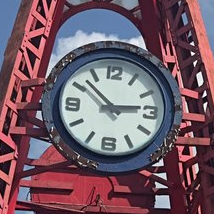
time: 2:52
